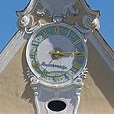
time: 3:14
